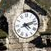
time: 4:12
